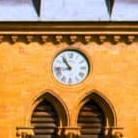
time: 10:43
